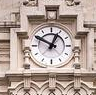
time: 12:49
